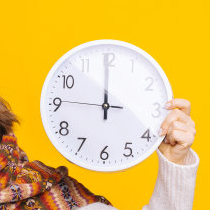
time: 11:59
